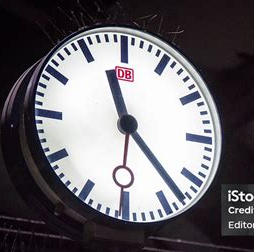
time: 11:23
